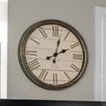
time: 2:02
